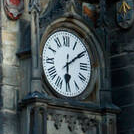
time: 6:09
